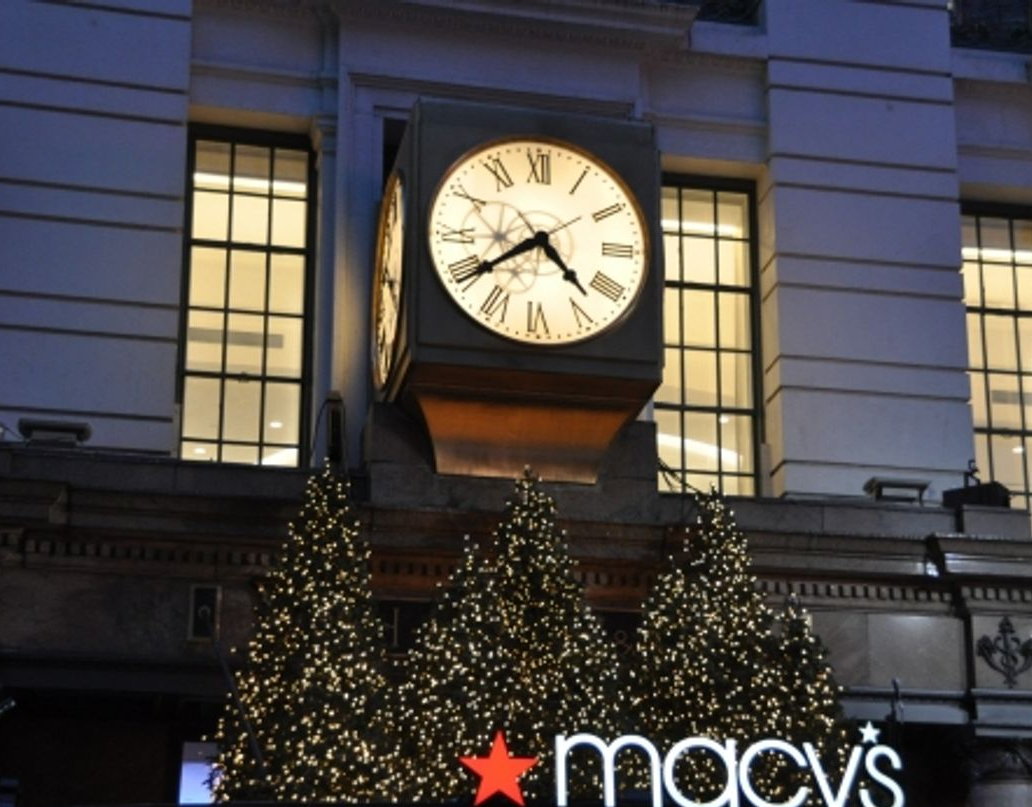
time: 4:39
